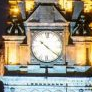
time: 10:21
